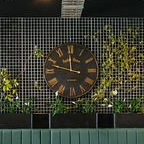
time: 11:47
